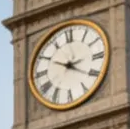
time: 2:49
